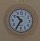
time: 10:35
